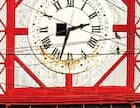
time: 2:32
